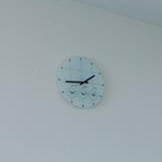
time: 1:44
